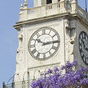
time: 10:14
